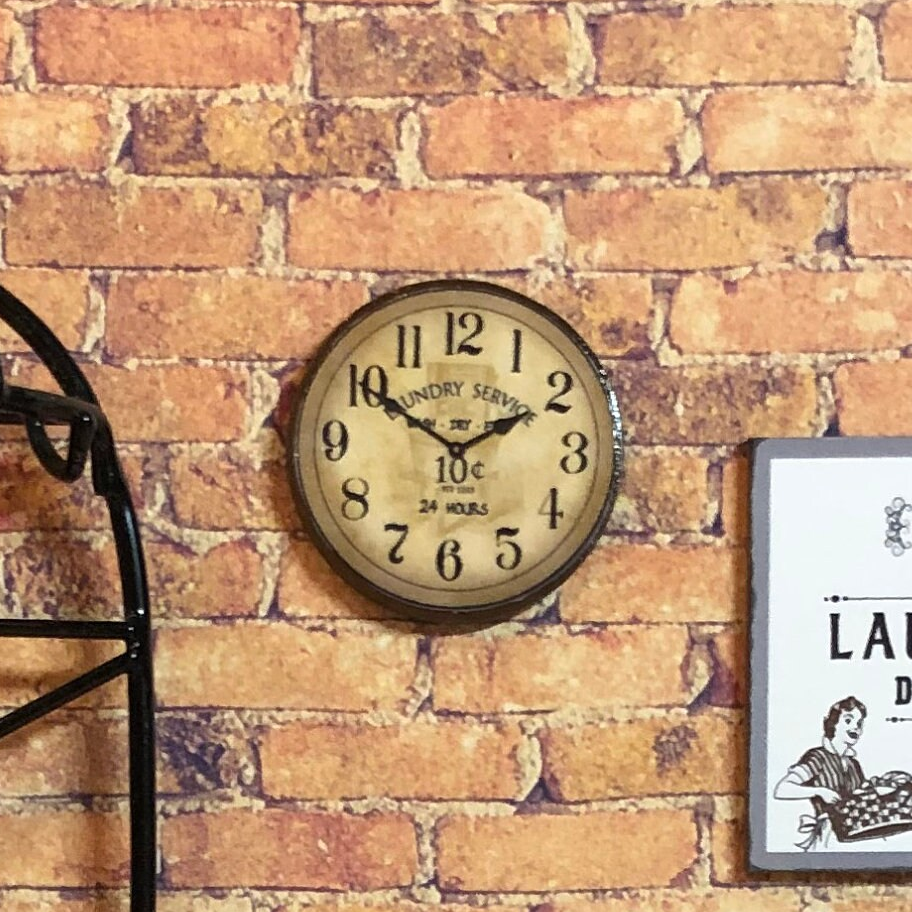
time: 1:50
